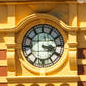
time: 3:19
